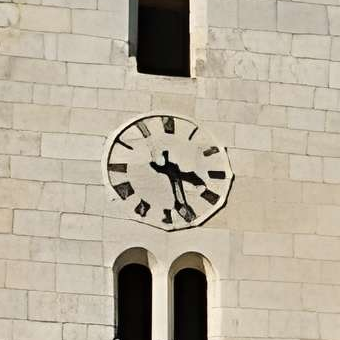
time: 3:27
